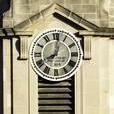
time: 8:01
